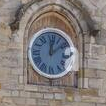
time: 12:08
